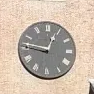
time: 12:46
